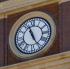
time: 11:25
